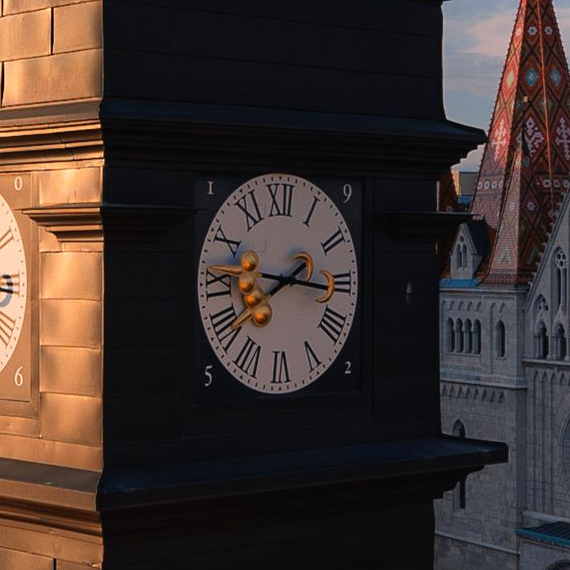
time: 2:16
